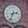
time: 2:33
